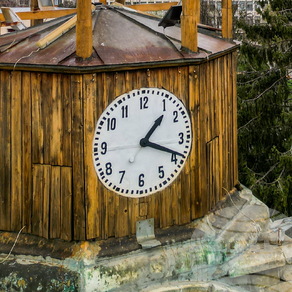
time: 1:18
